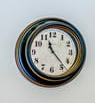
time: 11:23
